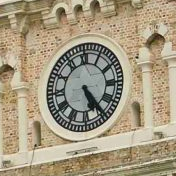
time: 5:24
